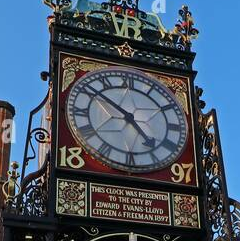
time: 4:51
